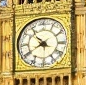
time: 10:40
